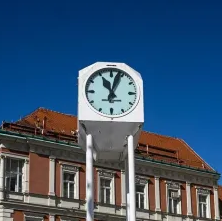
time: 11:03
